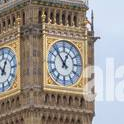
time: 12:53
